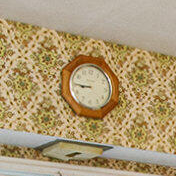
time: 8:45
